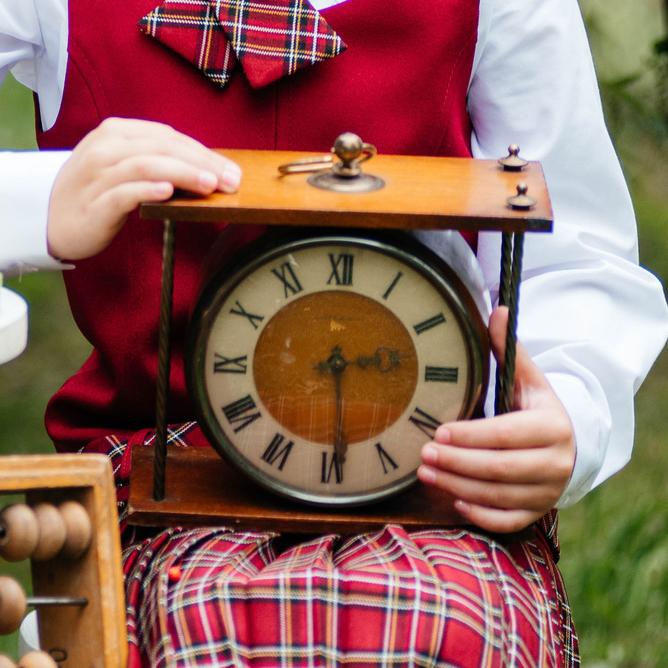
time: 2:29
